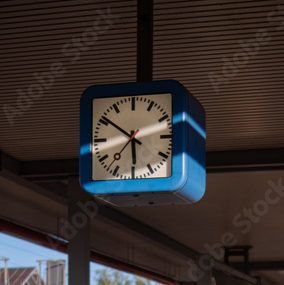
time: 5:50
